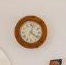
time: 4:02
